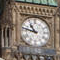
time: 10:47
